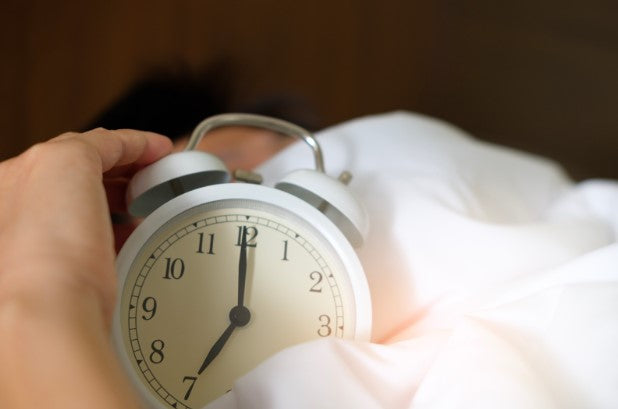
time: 7:00
